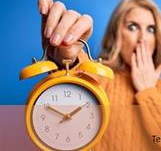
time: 1:50
